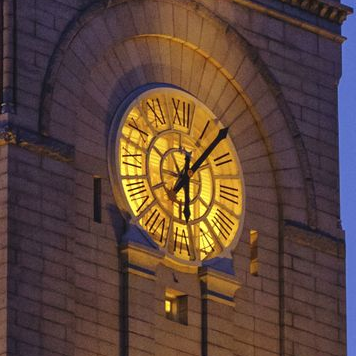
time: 6:07
